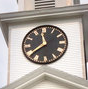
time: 11:38
